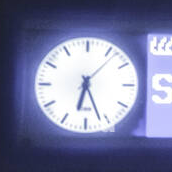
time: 6:26
